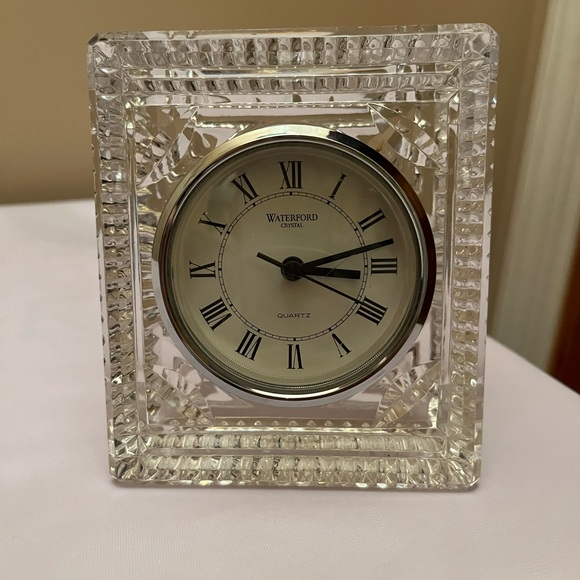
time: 3:12
